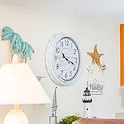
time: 10:18
